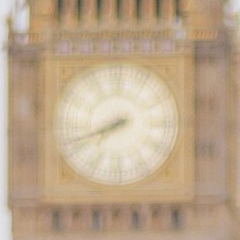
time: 7:41
